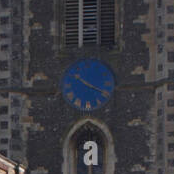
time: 10:19
